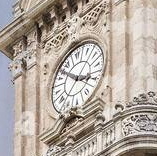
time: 3:52
